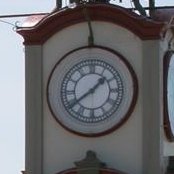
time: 1:39
